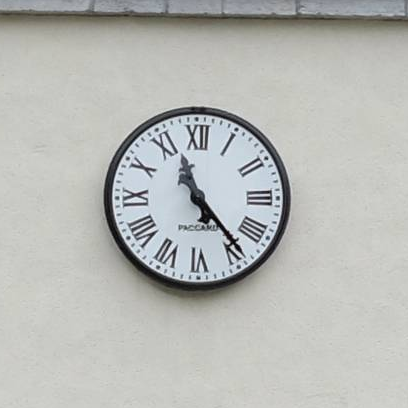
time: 11:23
